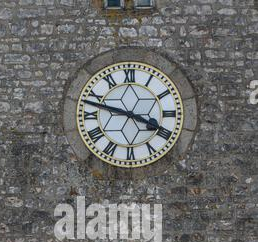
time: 3:47
